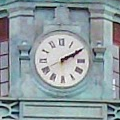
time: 2:10
